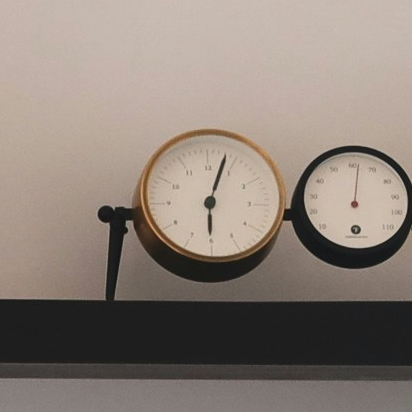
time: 6:03
